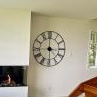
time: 5:59
